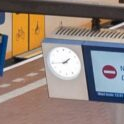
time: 1:43
